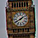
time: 1:40
